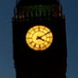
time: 4:10
